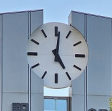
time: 5:01
